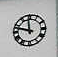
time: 11:47
